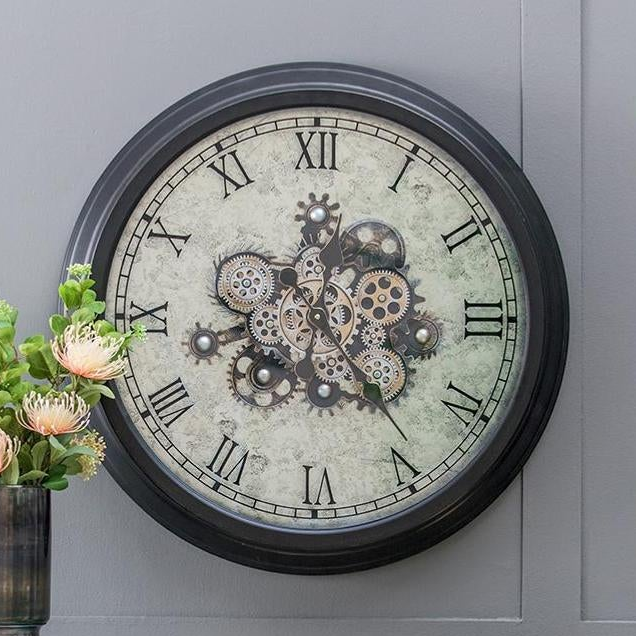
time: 12:23
